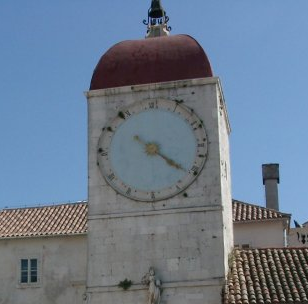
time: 4:21
